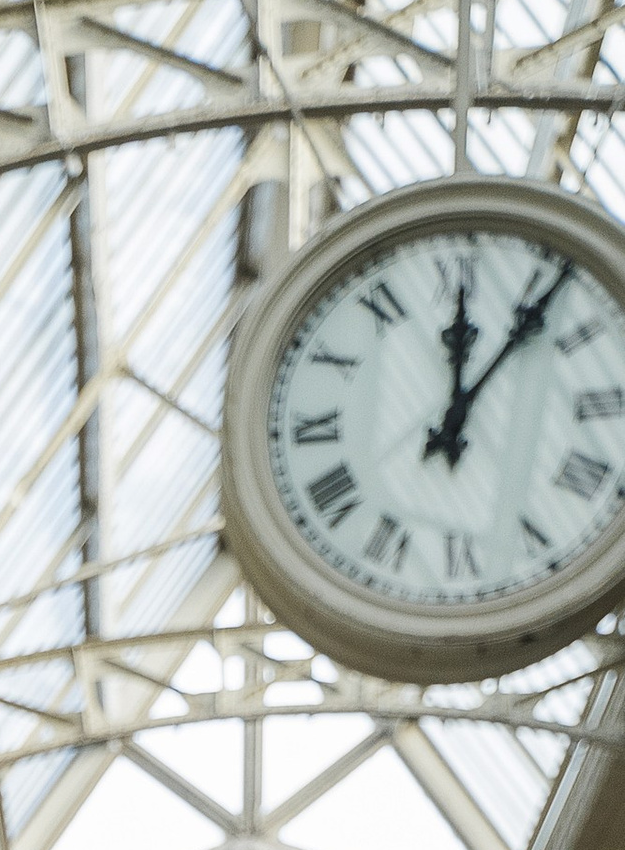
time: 12:06
